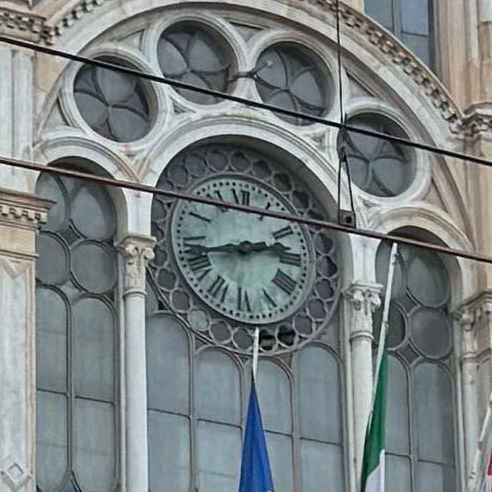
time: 2:42
